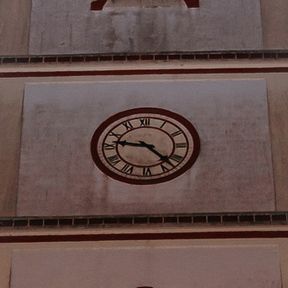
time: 9:22
